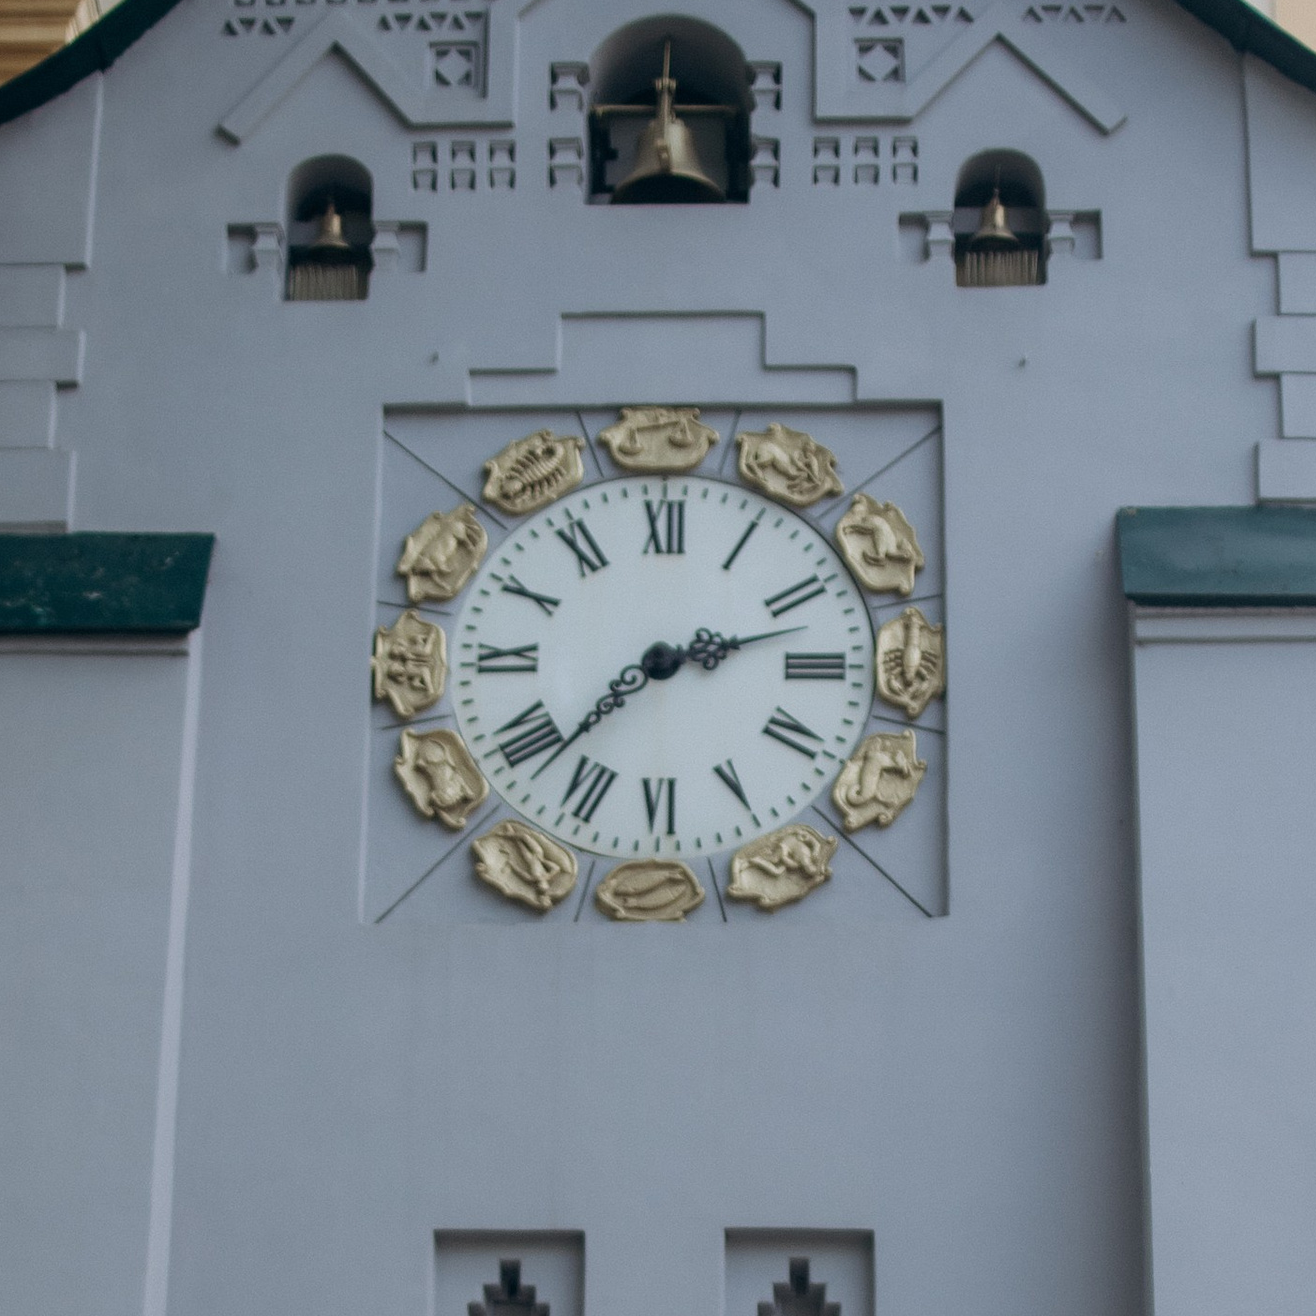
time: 2:38
